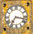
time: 7:17
